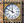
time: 11:49
